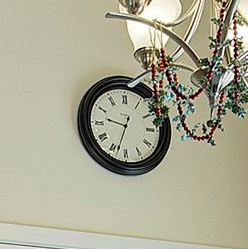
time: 9:33
